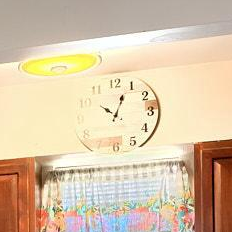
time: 12:51
